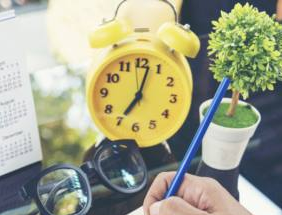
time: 7:02
